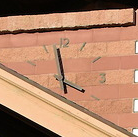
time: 3:58
